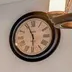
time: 5:56
